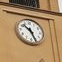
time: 10:26
